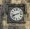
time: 8:12
